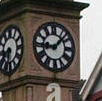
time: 9:07
